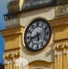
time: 5:42
